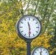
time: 11:29
